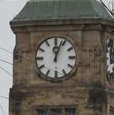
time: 12:03
